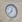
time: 12:37
